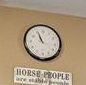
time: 10:56
